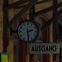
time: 2:29
